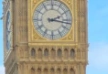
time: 2:16
